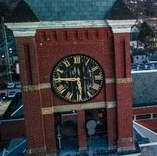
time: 5:45
